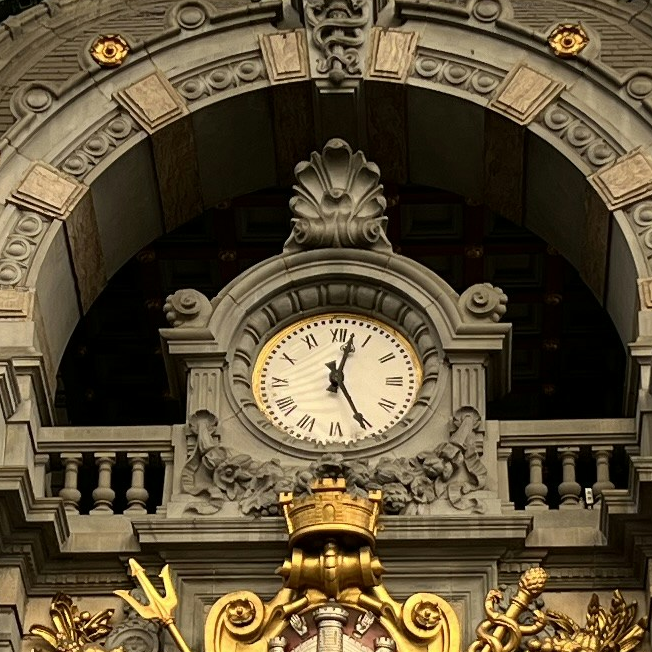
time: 5:03
